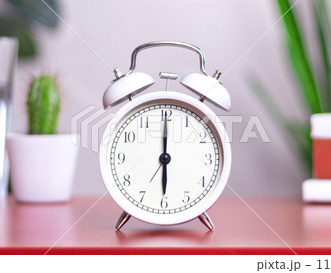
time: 6:00
